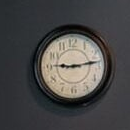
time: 9:13
